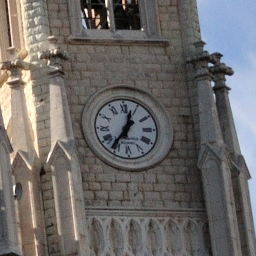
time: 12:36
